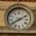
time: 8:10
